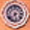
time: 7:28
